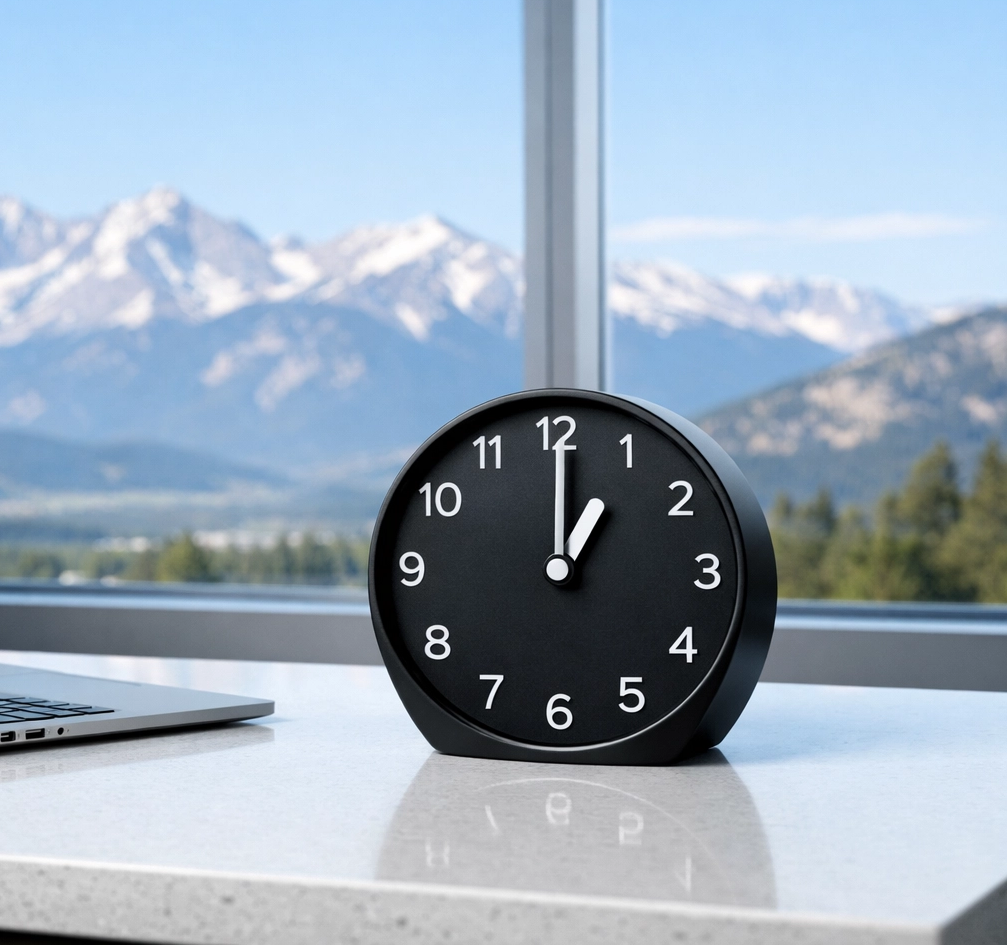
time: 1:00
